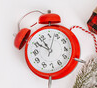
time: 10:50
